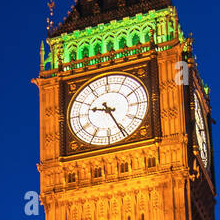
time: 9:25
